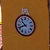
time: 10:41
